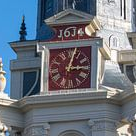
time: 3:02
